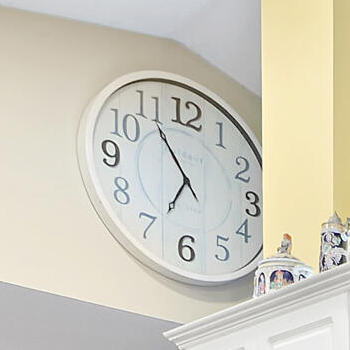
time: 6:54
